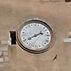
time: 1:39
